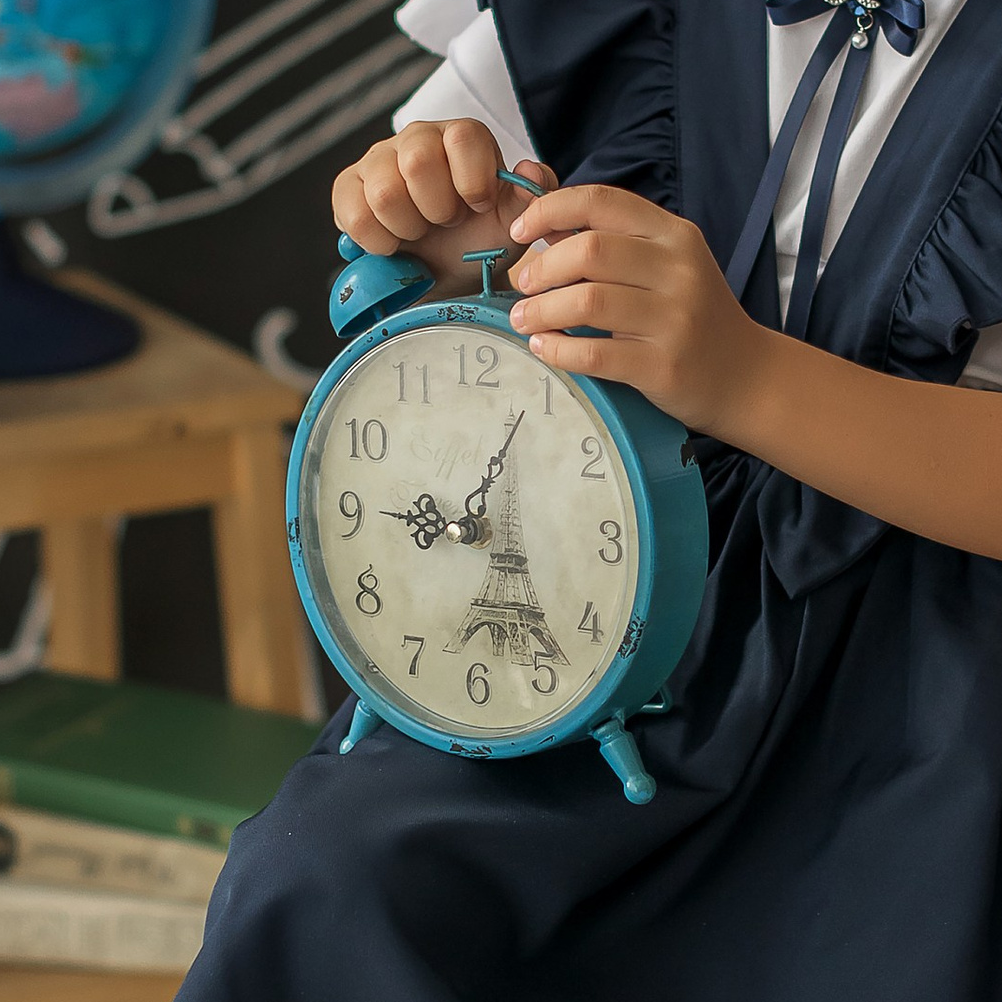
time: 9:04
